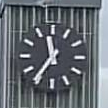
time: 11:36
